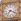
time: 7:18
